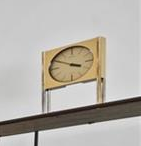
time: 3:50
